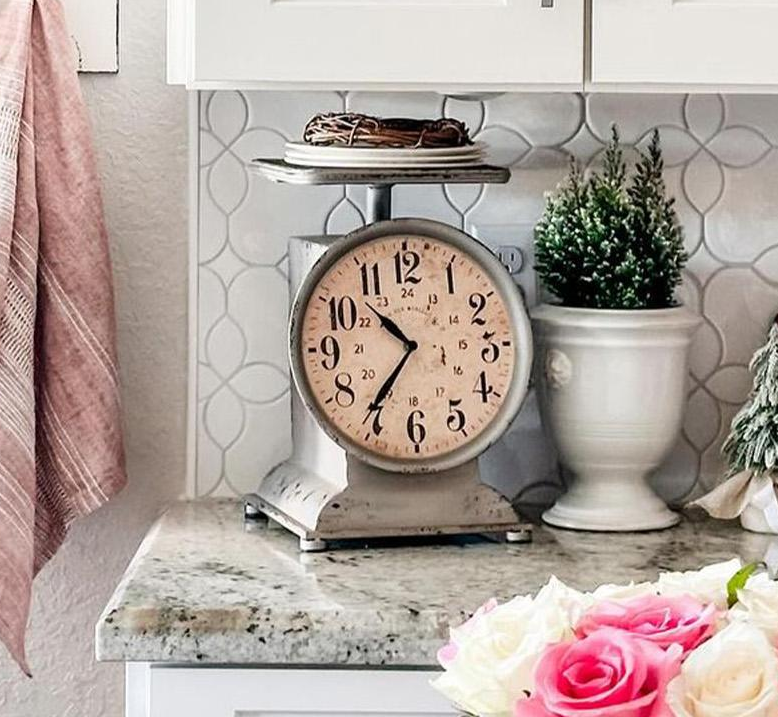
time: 10:36
